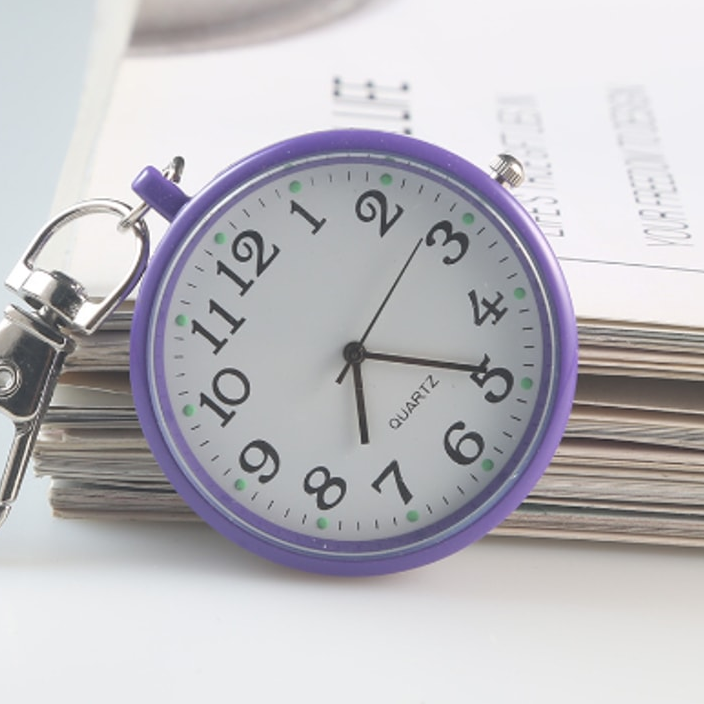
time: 6:19
